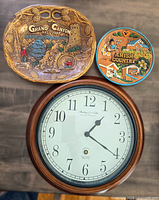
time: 1:20
